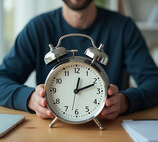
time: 12:11
